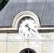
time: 5:20
